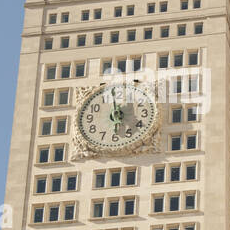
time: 5:59
